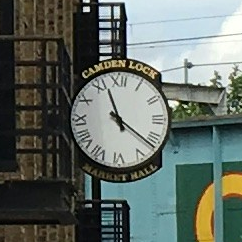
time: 11:21
